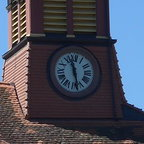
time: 11:28
